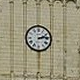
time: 2:13
